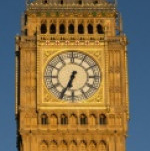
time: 6:34
